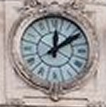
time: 12:09
